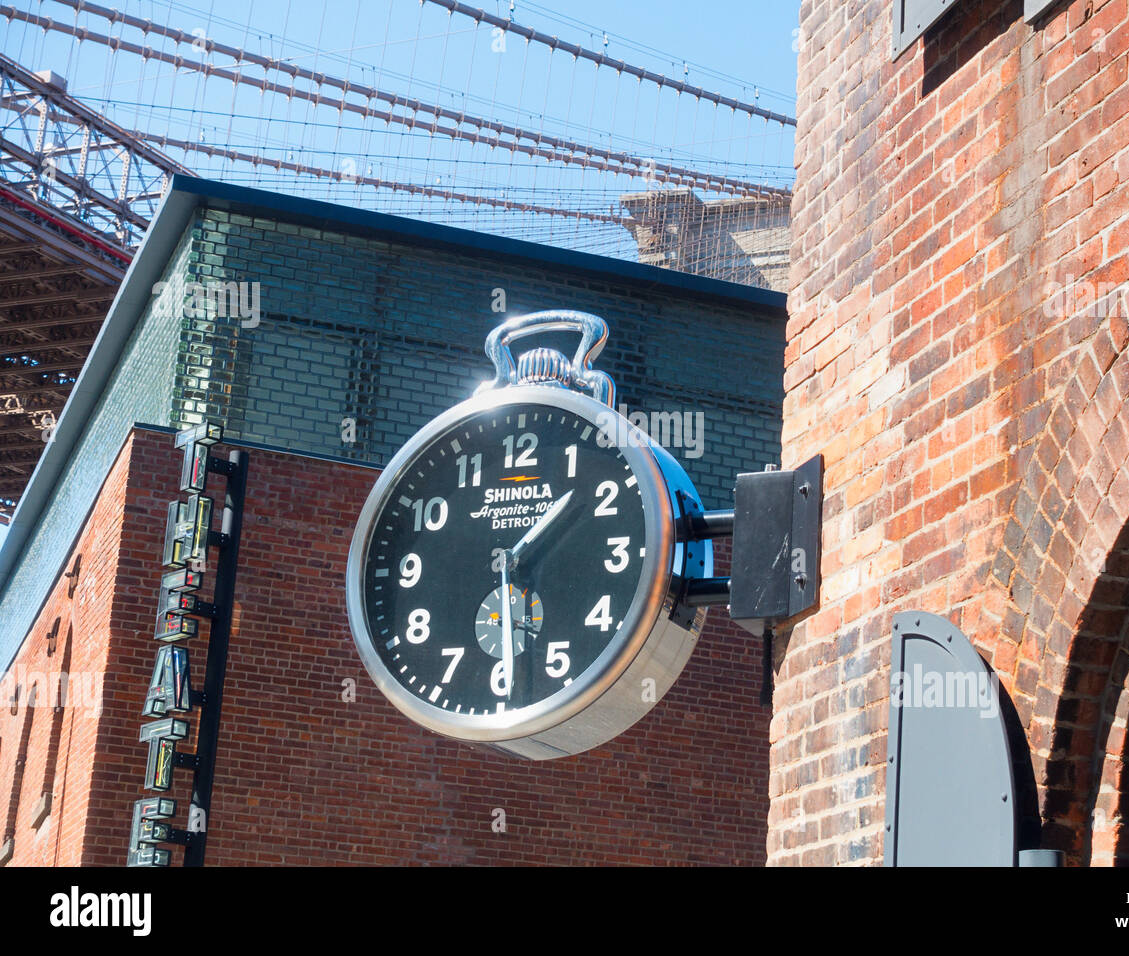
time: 1:28
